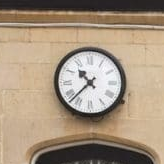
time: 10:37
